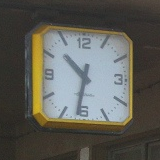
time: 10:31
